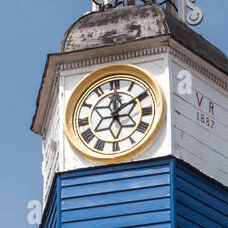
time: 12:09
